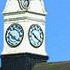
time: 10:20
